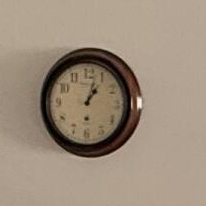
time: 1:02
